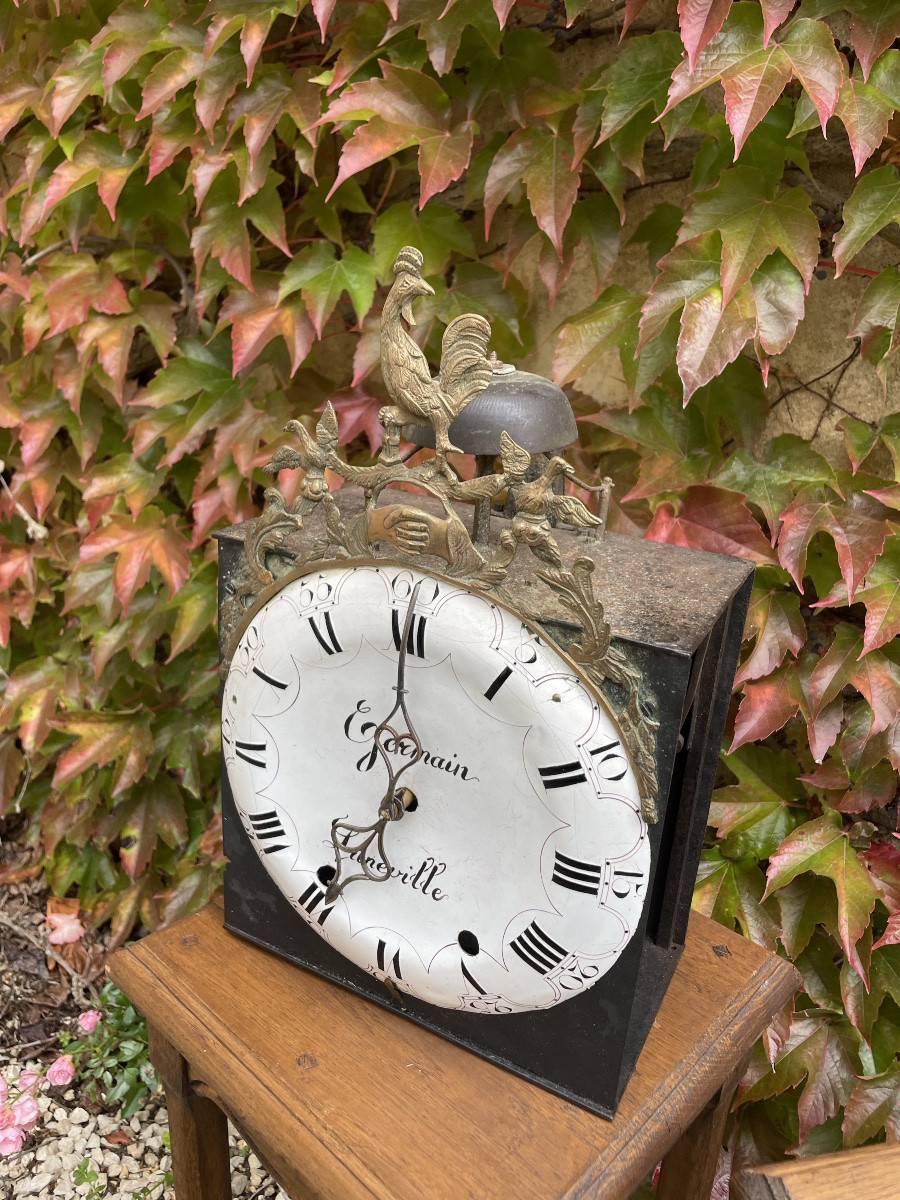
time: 6:59
